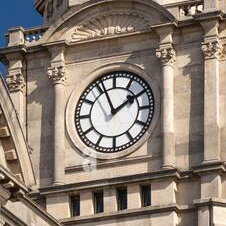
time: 1:56
